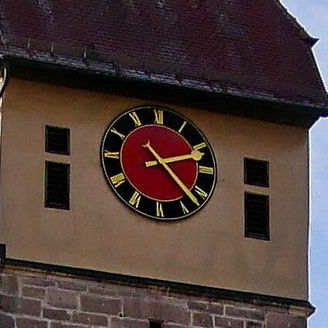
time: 2:22
